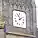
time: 1:54
